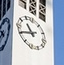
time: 10:41
